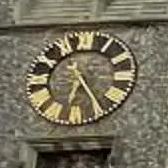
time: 6:24
